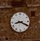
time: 8:19
